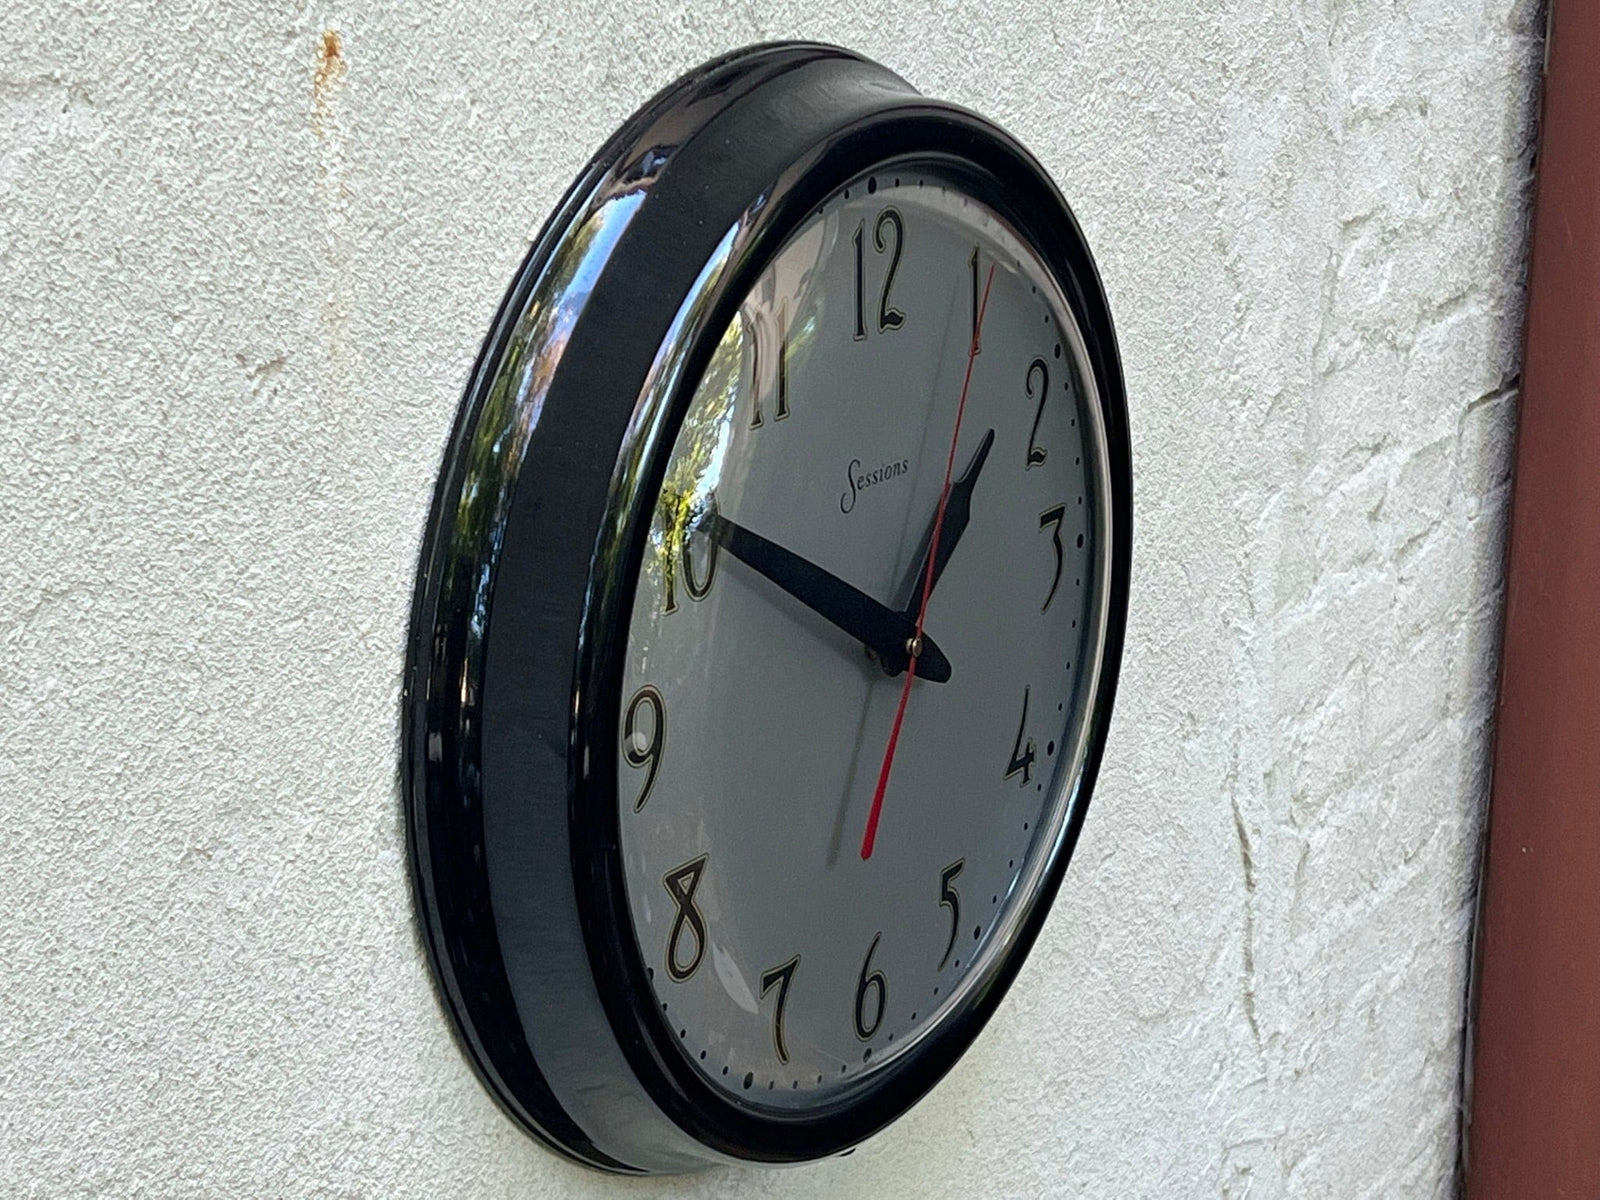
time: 1:50
